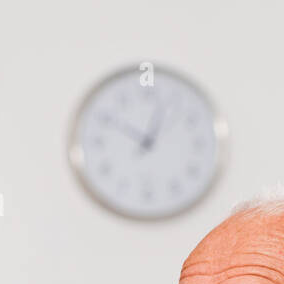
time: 12:49
